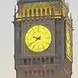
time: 9:39
